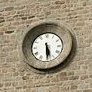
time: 5:29
